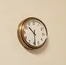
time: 10:29
